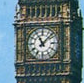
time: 11:07
